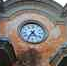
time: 4:35
